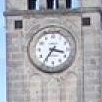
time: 3:35
